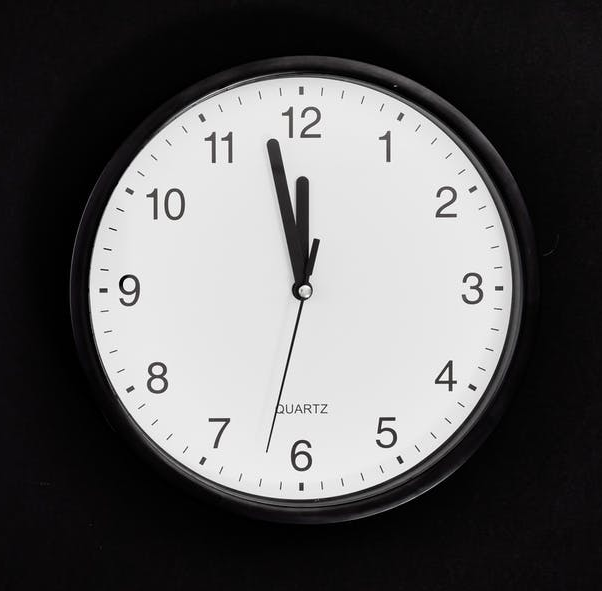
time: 11:57
